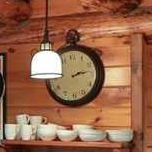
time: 2:13
